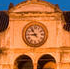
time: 8:54
